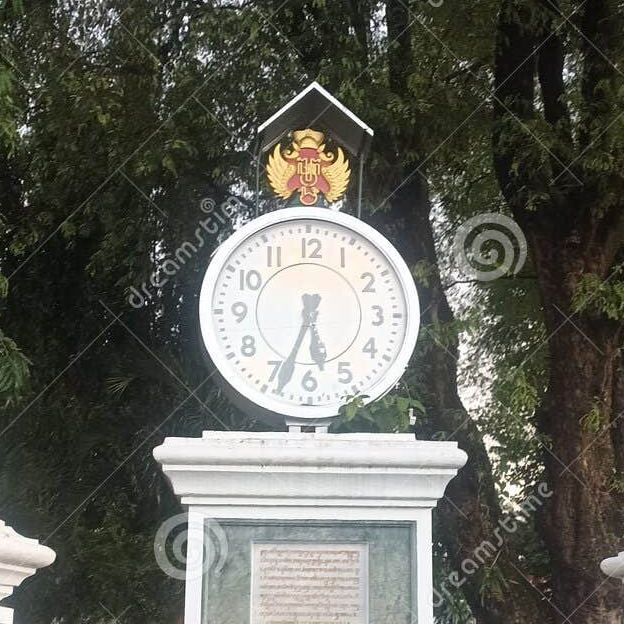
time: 5:33
